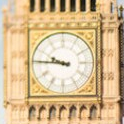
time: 9:45
